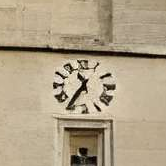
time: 11:35
